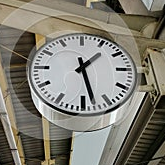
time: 1:28
